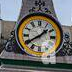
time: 1:39
